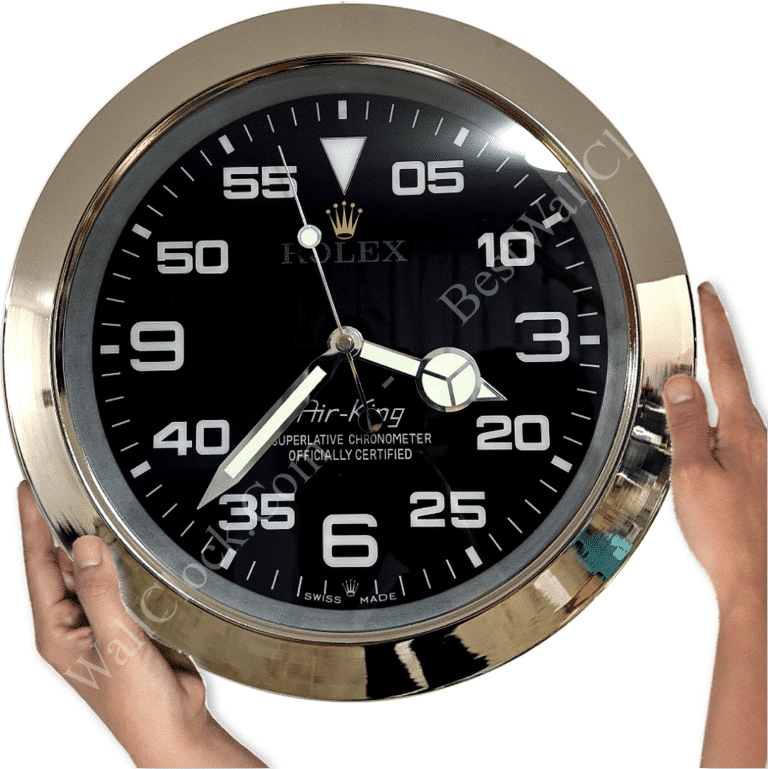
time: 3:37
